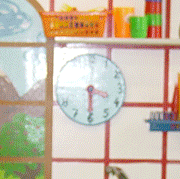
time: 3:30
